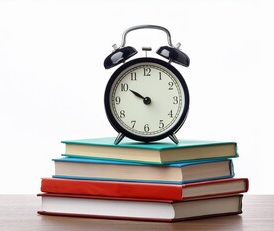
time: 9:50
